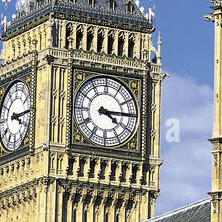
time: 4:14
